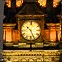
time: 10:26
